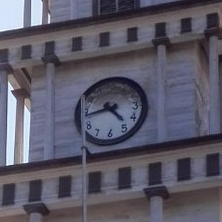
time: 4:43
